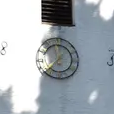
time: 11:37
